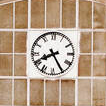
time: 8:25
